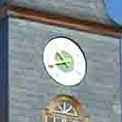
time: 10:41
